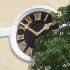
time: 1:50
